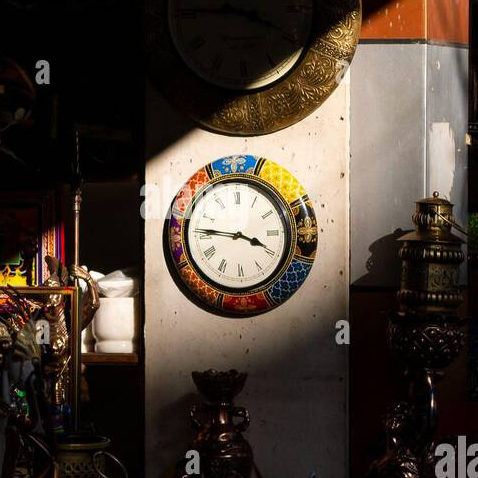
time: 3:46
